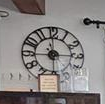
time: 11:44
